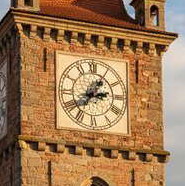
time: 2:36
